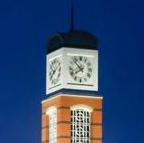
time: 7:53
